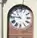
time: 10:45
